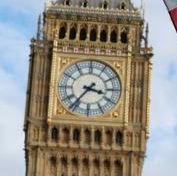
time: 3:36
